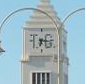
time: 6:17
